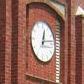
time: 12:13
